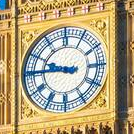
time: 9:45
